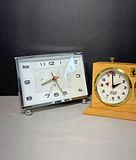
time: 8:26
